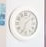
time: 1:33
